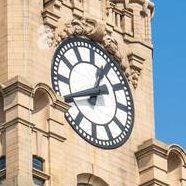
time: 12:40
